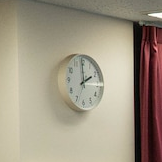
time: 1:59
